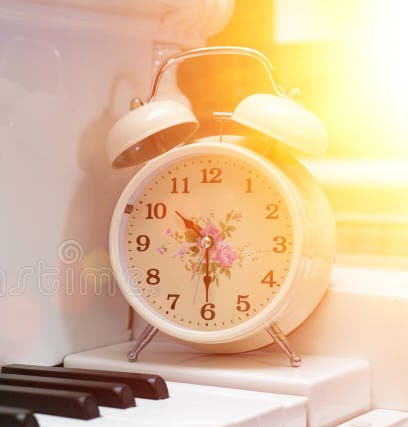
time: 10:30
